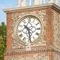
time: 10:28
